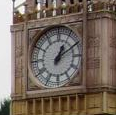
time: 1:10
